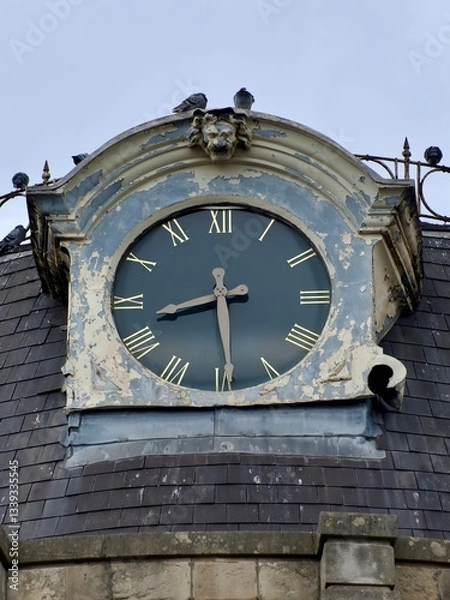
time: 8:29
